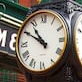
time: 10:50
